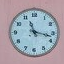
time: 11:17
